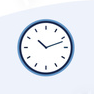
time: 10:11
